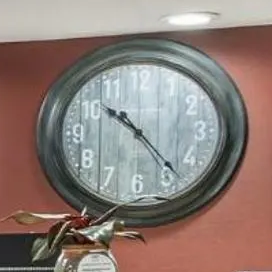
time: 10:23
